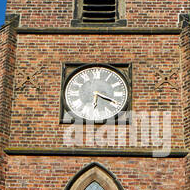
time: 6:18
